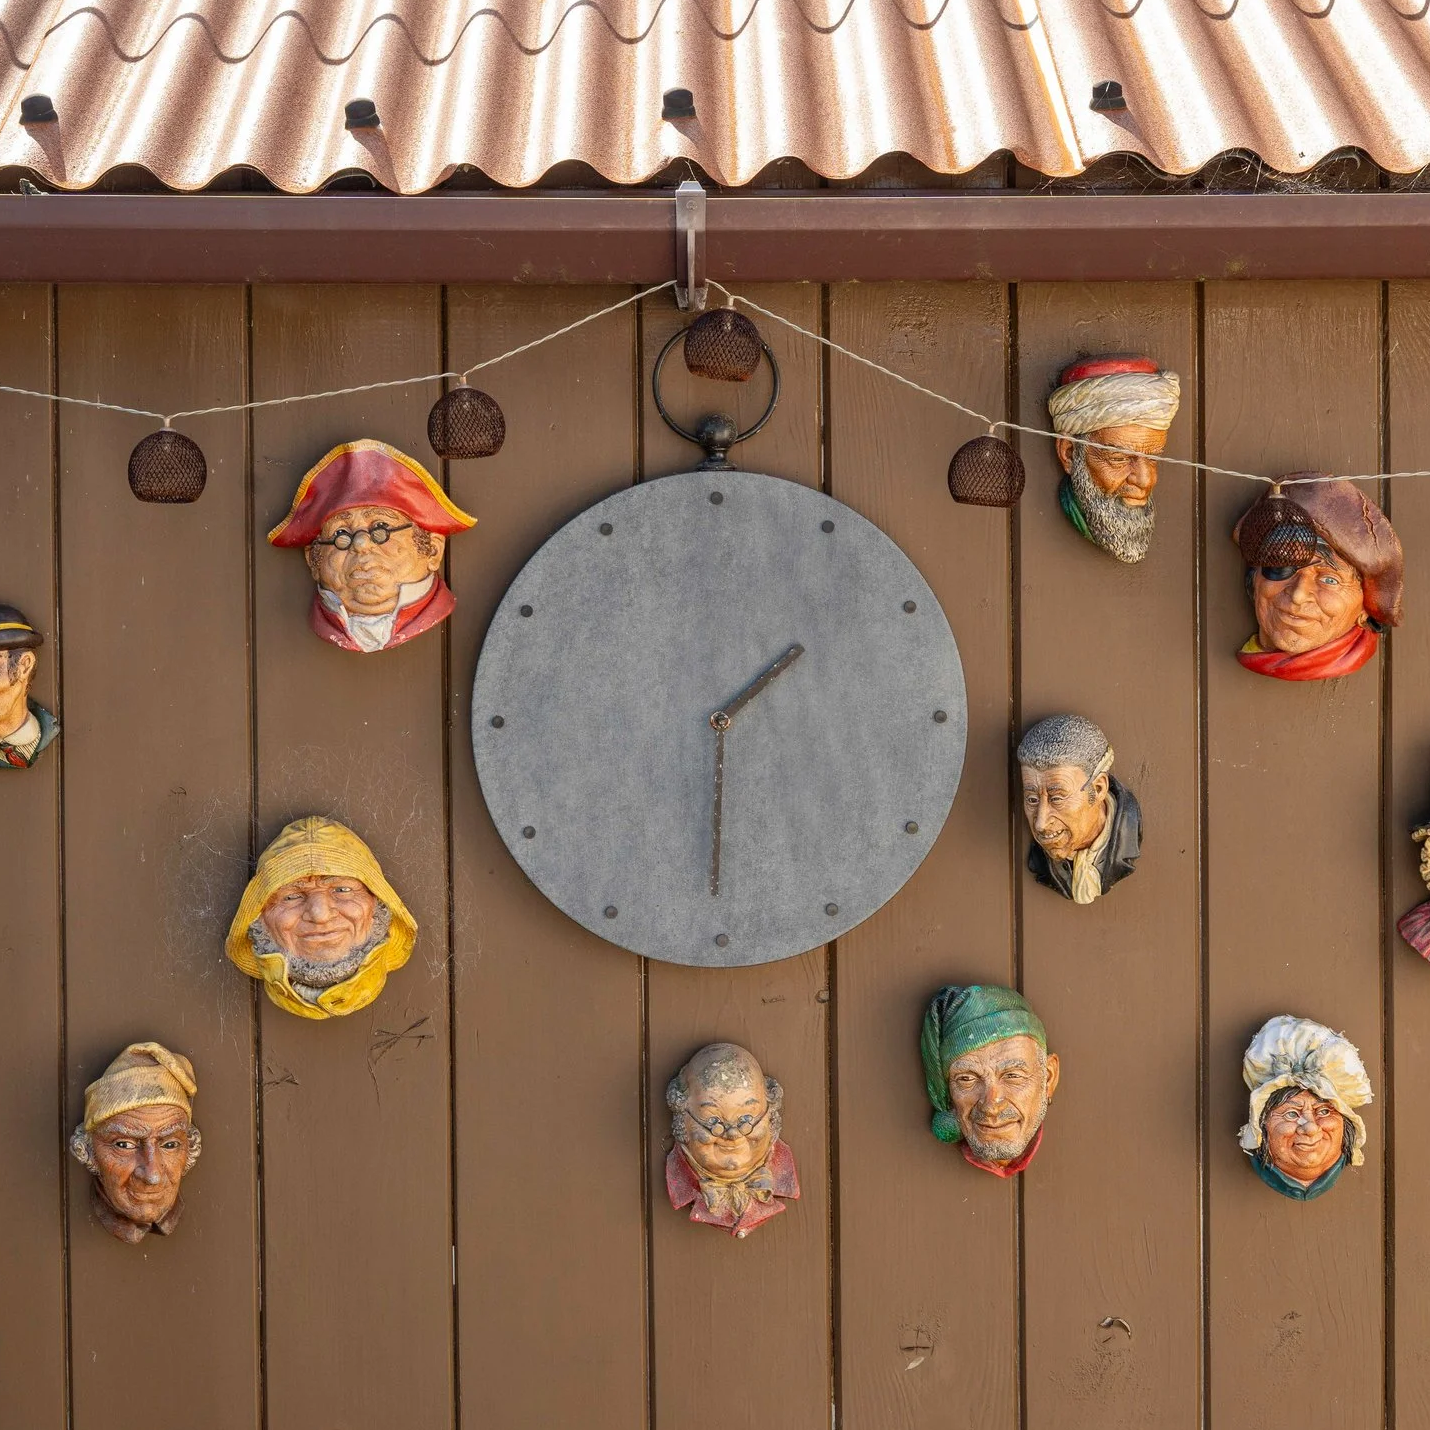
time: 1:30
